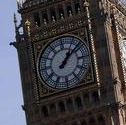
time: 1:08
